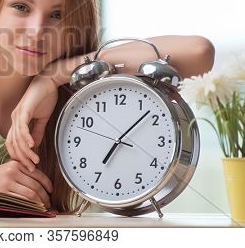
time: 7:07
